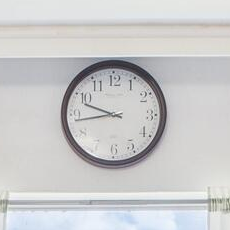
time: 9:43
